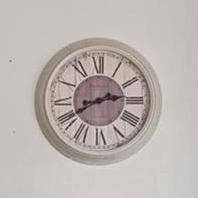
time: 2:40
